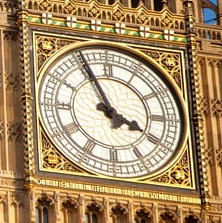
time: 3:55
